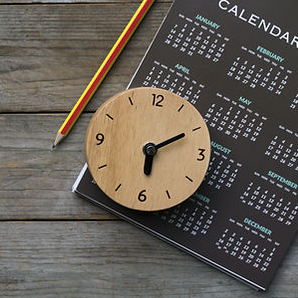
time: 6:10
